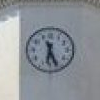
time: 6:26
